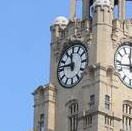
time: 11:46
